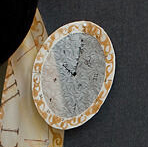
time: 10:00
